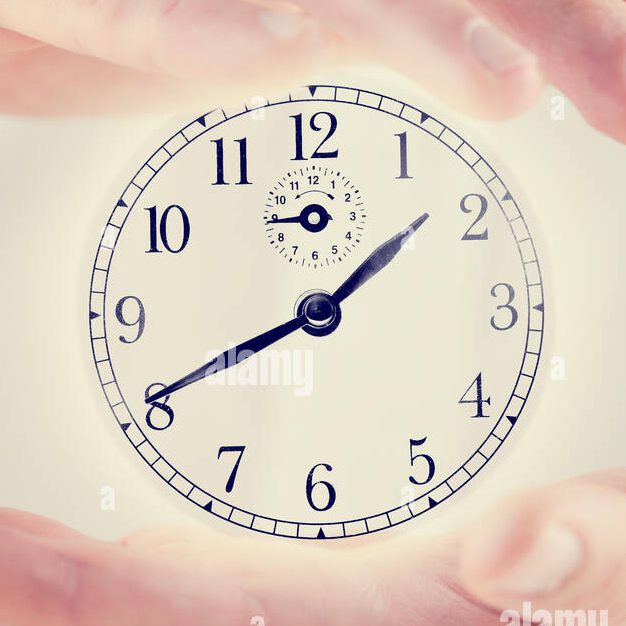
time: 1:40
